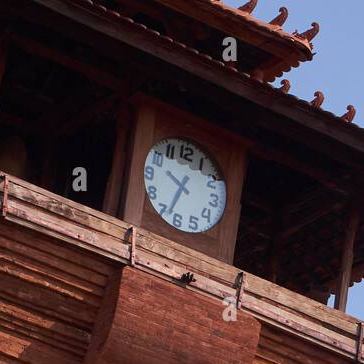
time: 9:32
